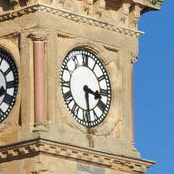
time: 3:28
